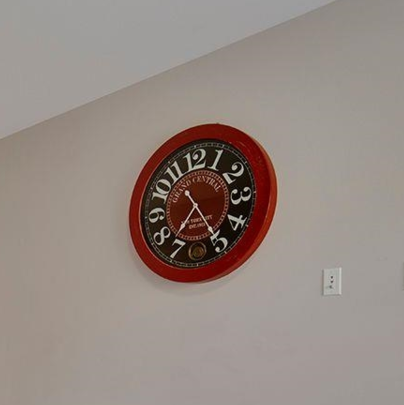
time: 7:25
